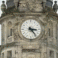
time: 3:23
